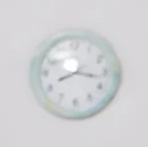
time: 8:16
